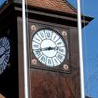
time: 2:42
